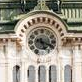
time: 5:18
